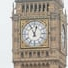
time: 11:02
